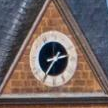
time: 2:35
